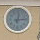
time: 12:13
